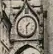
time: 1:28
